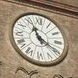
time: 11:19
